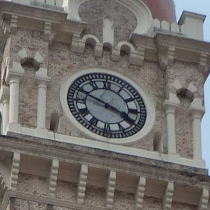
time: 3:48
